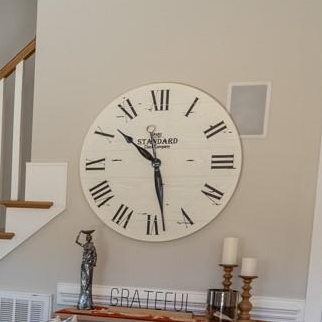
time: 10:28
